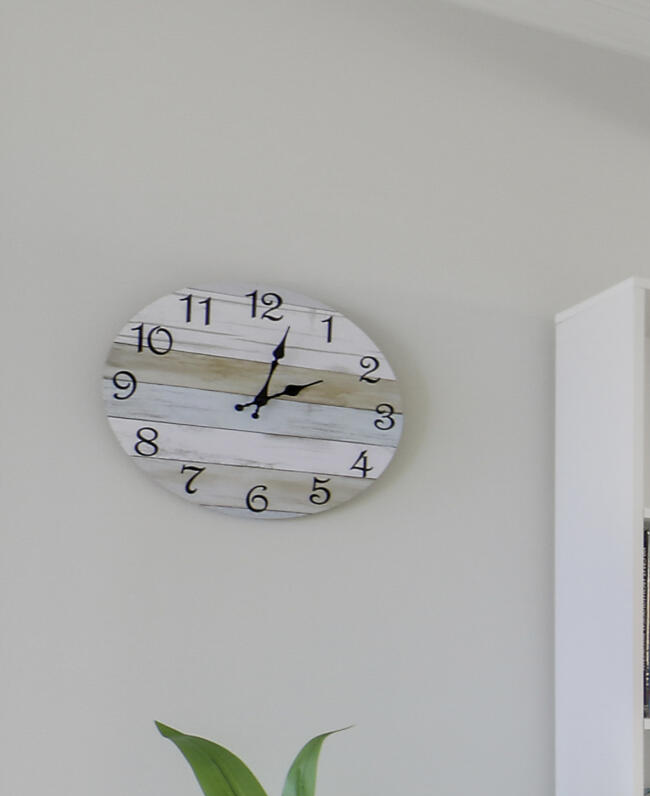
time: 2:02
